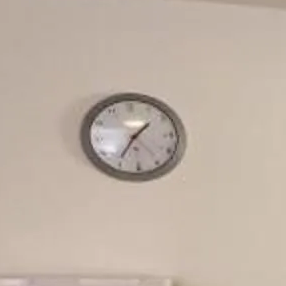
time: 1:35
